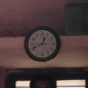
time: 12:41
